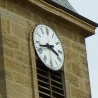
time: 3:42
